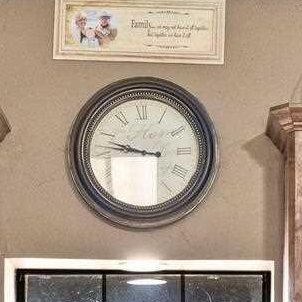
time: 9:47
